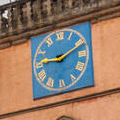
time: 9:11
